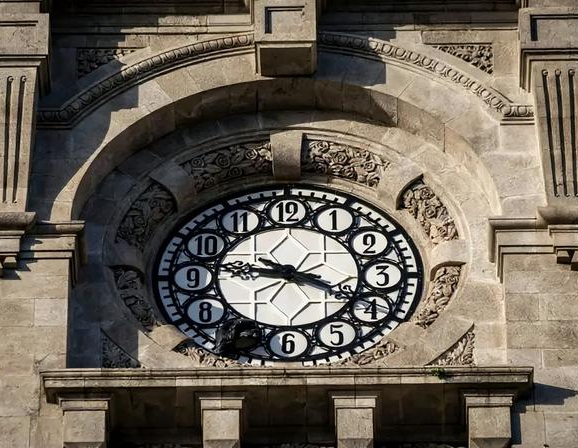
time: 9:20
